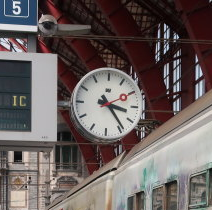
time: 3:23
